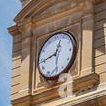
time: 12:43
